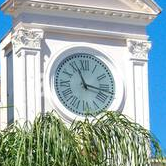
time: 11:16
